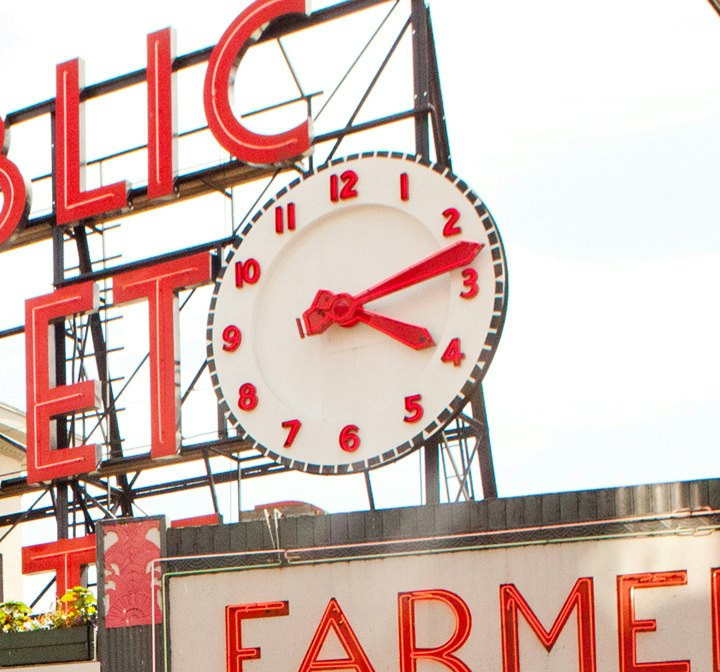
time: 4:12
